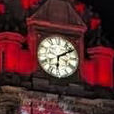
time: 6:10
